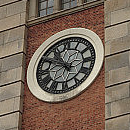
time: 10:48
